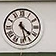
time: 4:27
